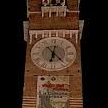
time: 6:23
